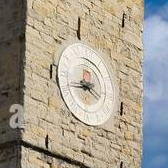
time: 3:43
